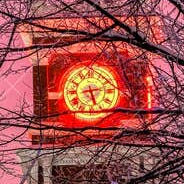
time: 5:12
